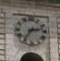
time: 2:36
